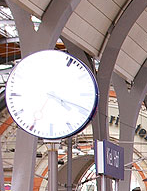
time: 4:18
